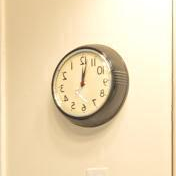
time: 12:02
